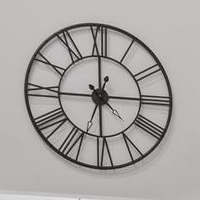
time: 2:59
